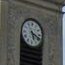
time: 5:18
